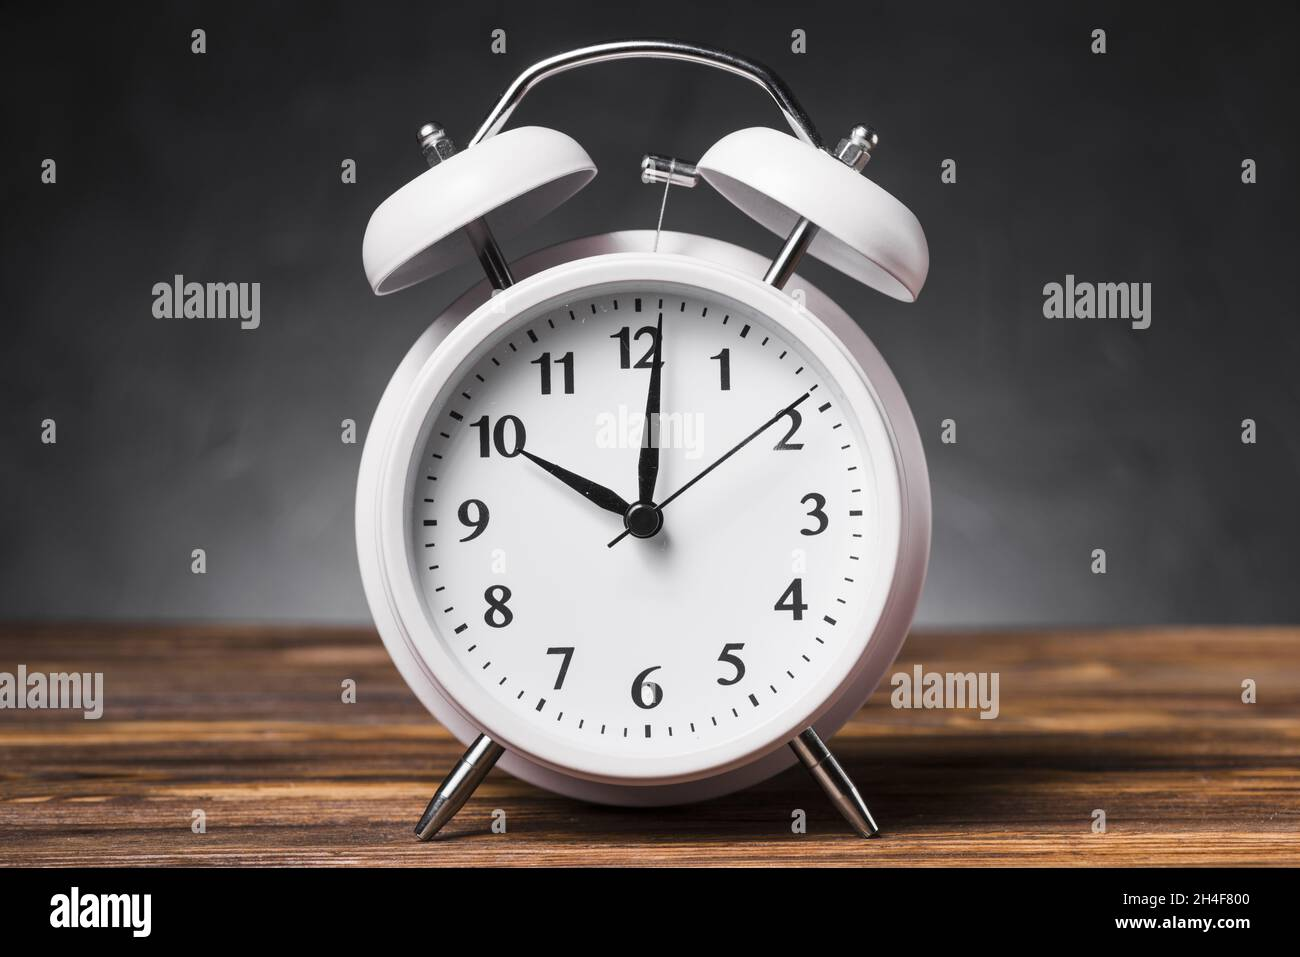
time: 10:01
